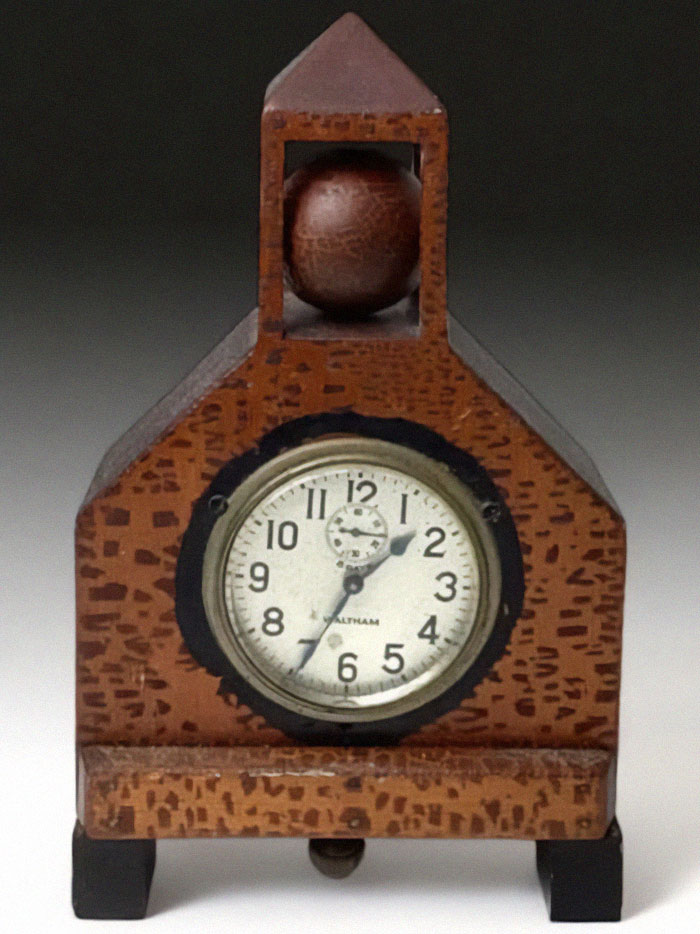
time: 1:34
